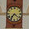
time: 7:21
